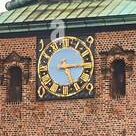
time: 5:14
